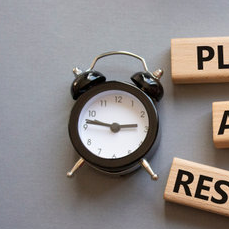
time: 2:46
